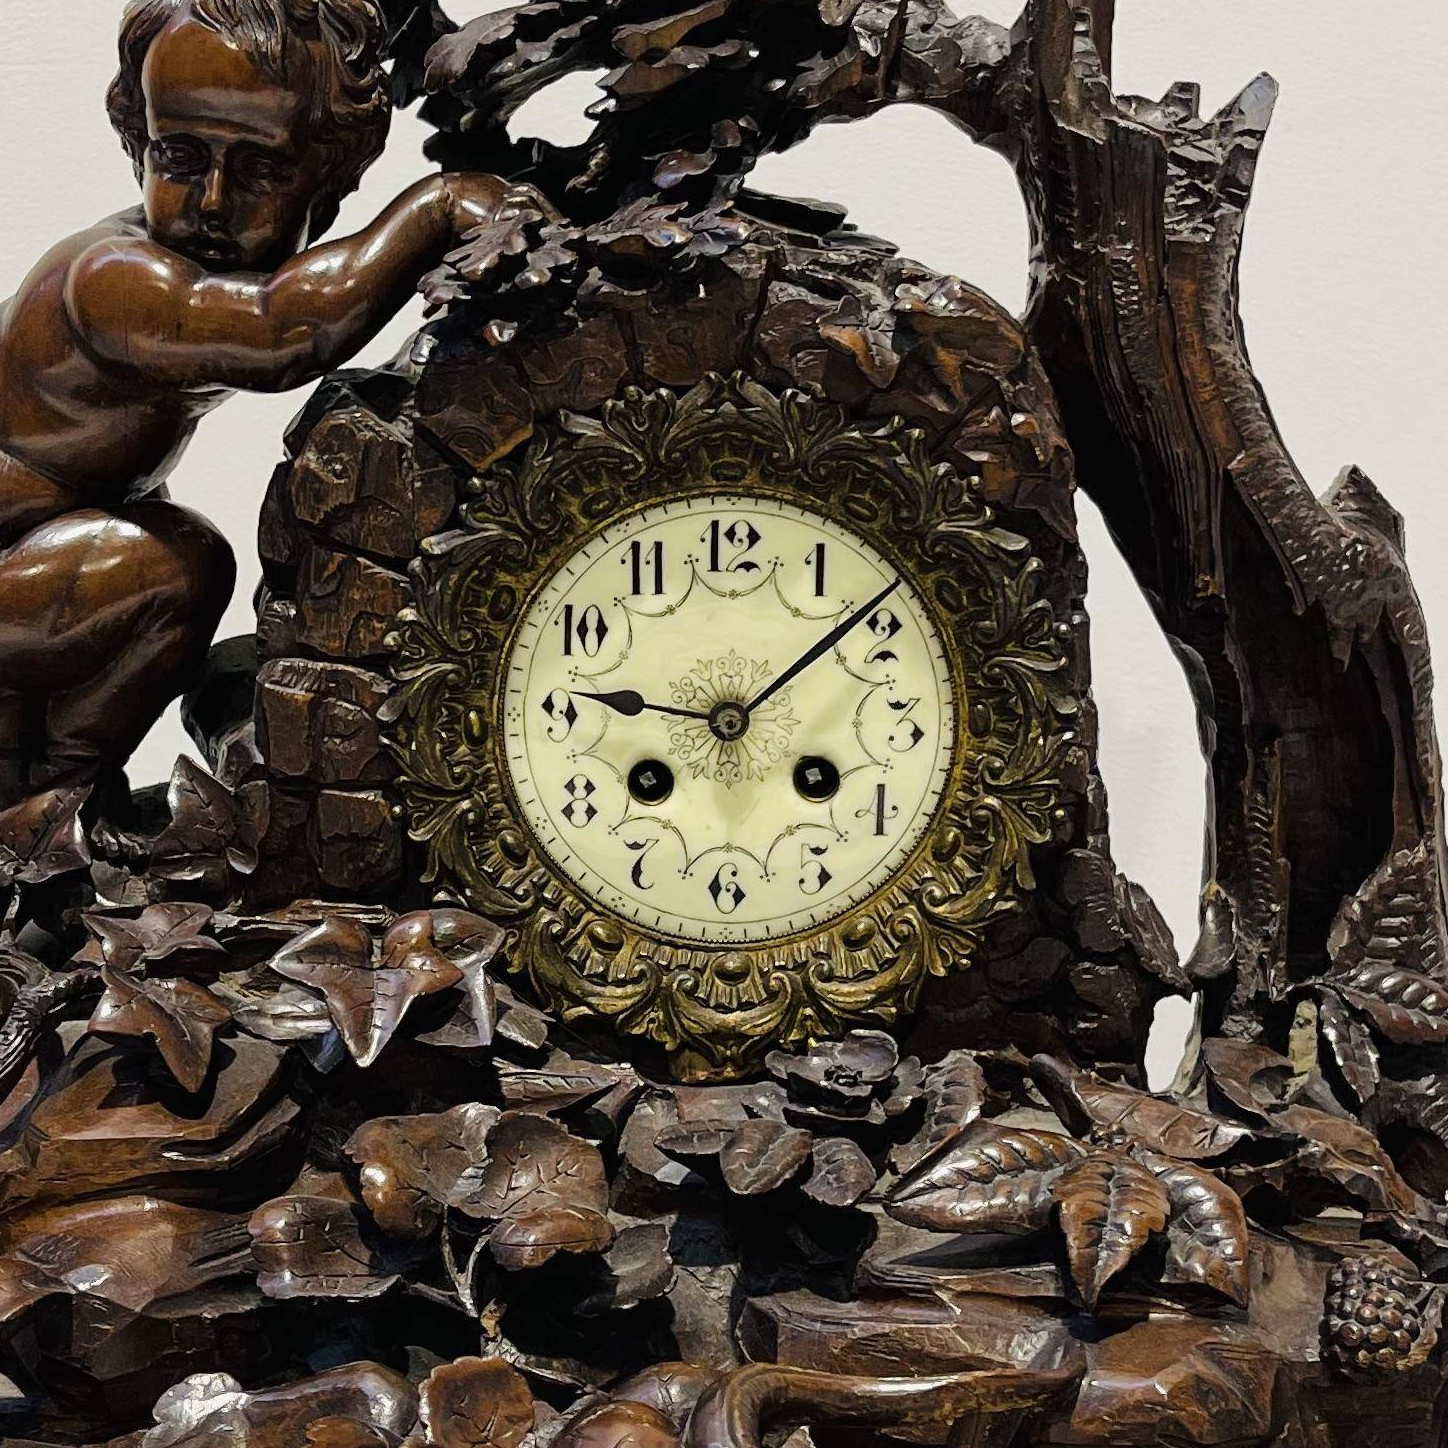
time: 9:08
